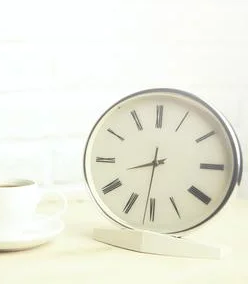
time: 8:31
